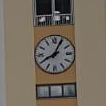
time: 8:04
